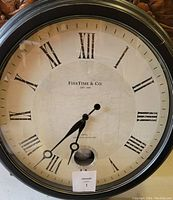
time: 6:36
